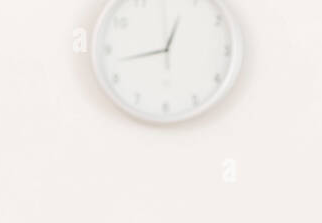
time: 12:42
